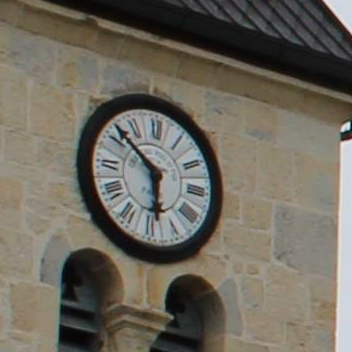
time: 5:51
